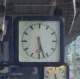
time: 5:30
